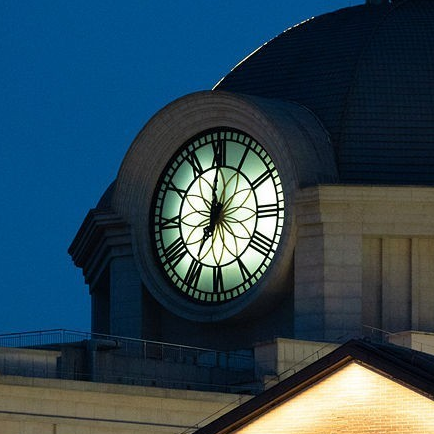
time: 7:00
